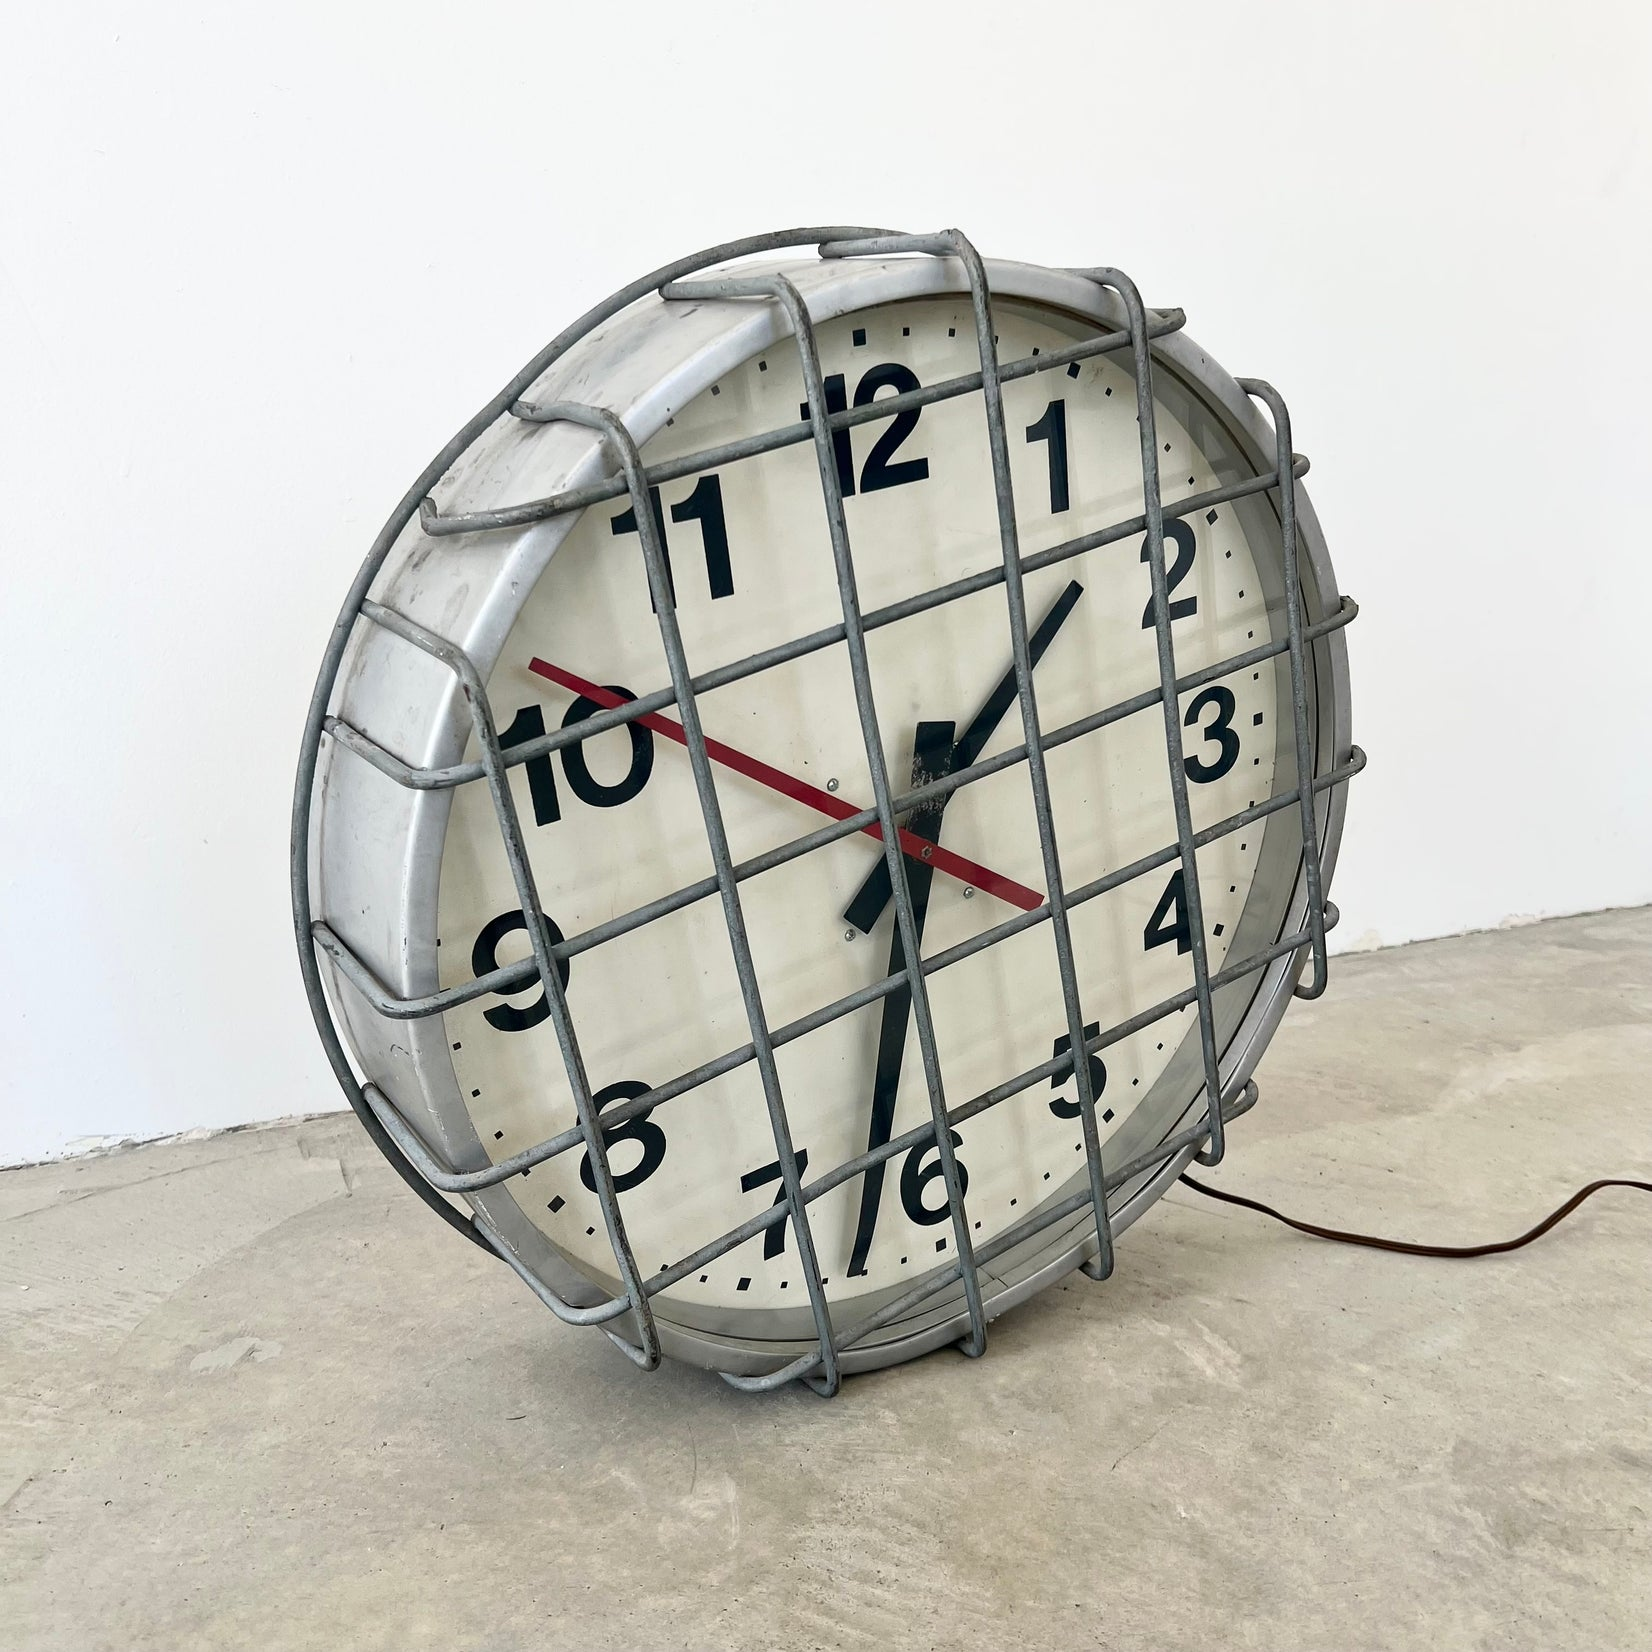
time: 1:32
